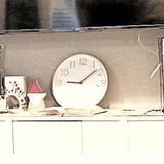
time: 9:08
